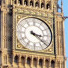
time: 3:21
